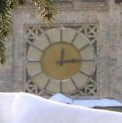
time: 12:14
